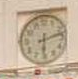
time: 6:12
